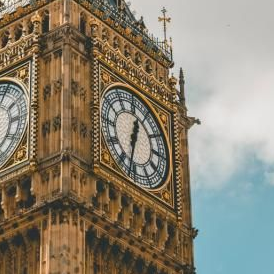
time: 12:32
